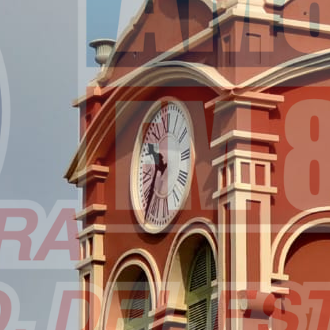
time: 10:34
